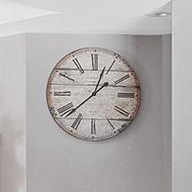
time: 12:38
